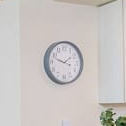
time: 1:47
